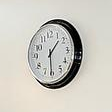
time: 1:30
